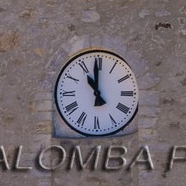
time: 10:59
